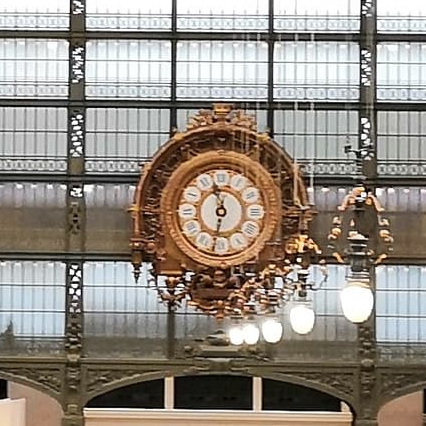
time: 11:32
